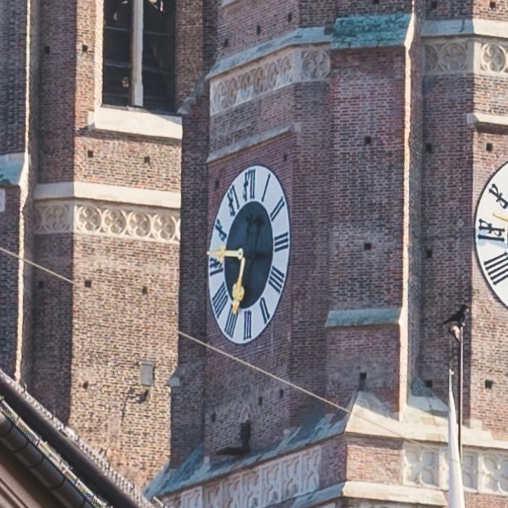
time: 6:46
